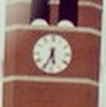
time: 5:34
